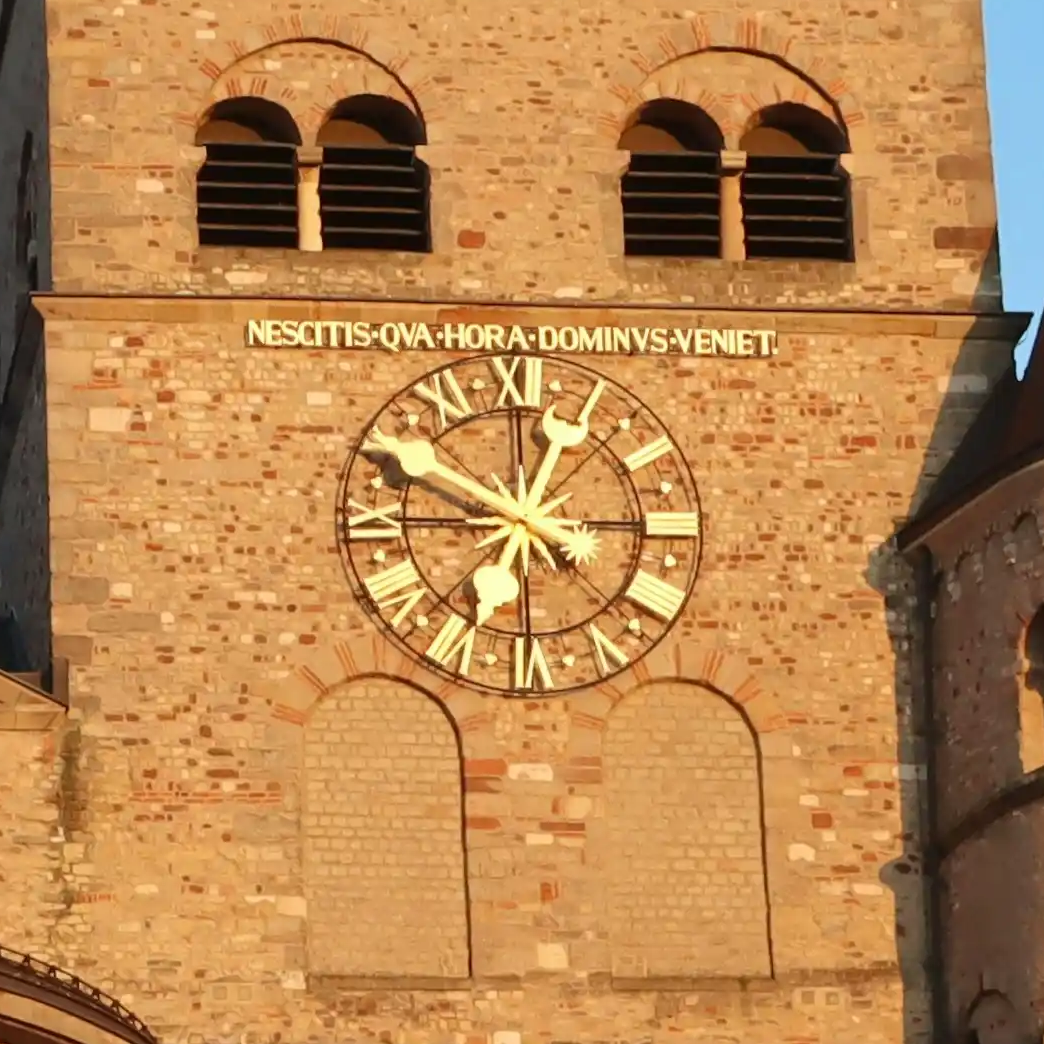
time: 12:49
